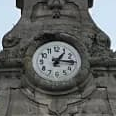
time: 1:15
